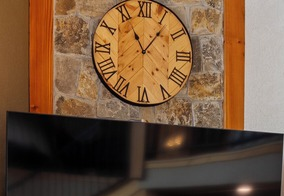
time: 11:06
